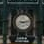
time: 9:13
